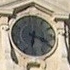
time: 6:18
